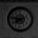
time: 7:46
